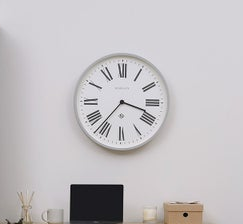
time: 3:36
